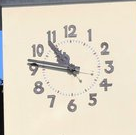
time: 10:46
